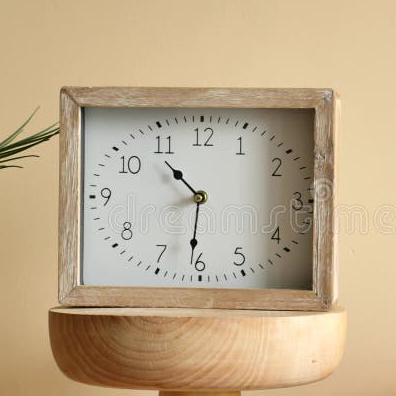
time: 10:31
